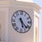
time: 5:22
